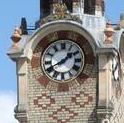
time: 1:40
